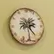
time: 2:23
